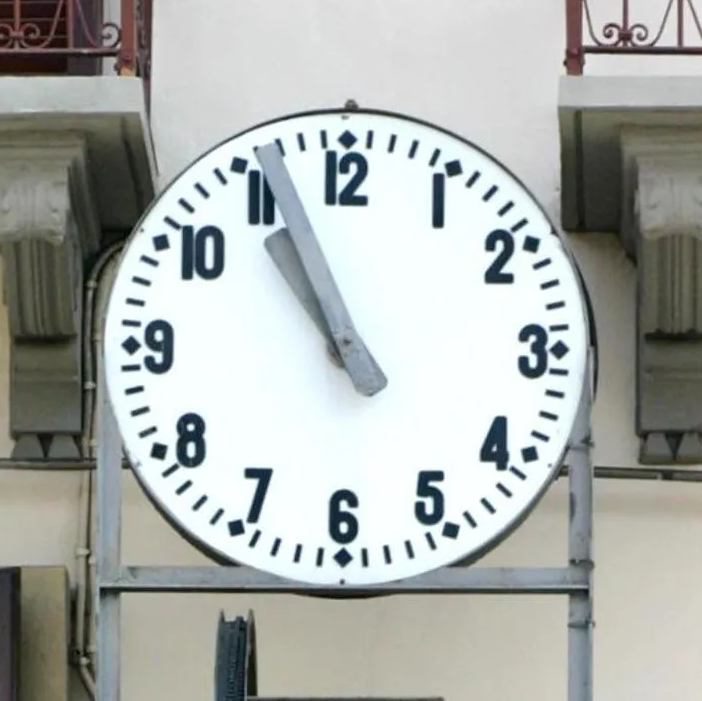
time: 10:56
